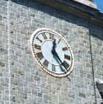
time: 12:23
